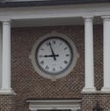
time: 8:56
